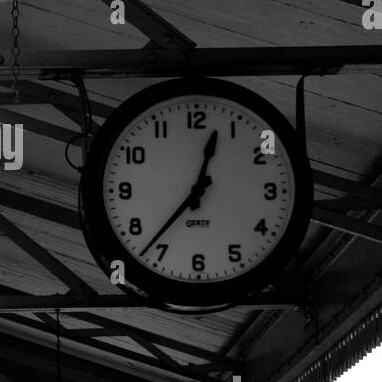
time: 12:36
